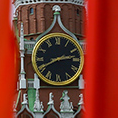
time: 2:40
